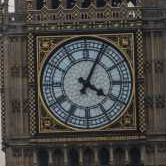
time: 4:04
